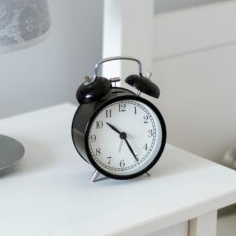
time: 10:24
